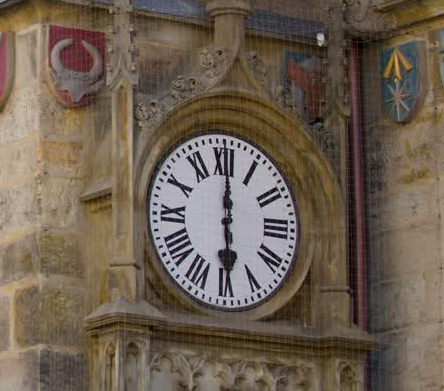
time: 6:00
